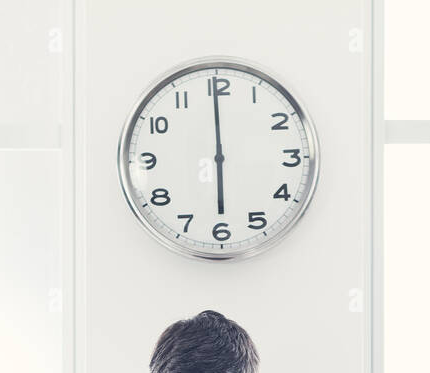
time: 5:59
